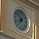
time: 6:52
